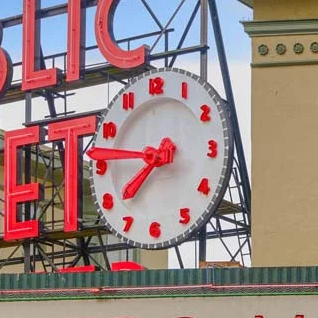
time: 7:46
